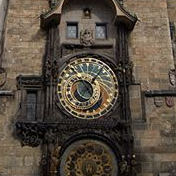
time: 11:07
